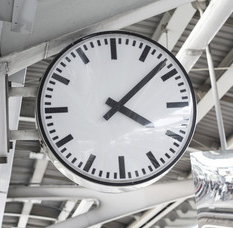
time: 4:08
